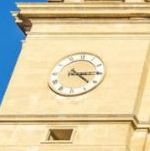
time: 4:14
